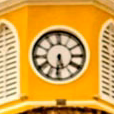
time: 5:31
